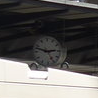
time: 2:48
